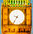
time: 9:36
